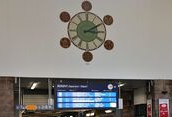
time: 3:09
